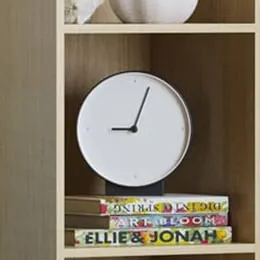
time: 9:03
